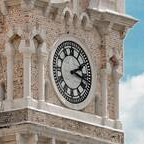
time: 2:17
